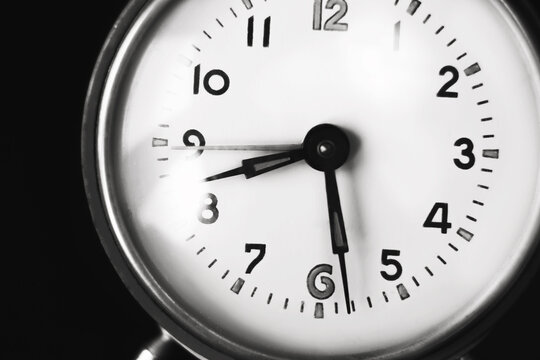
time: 8:28
